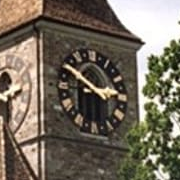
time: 2:50
